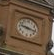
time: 9:17
